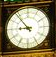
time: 8:53
